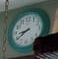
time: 8:38
